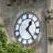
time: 1:23
